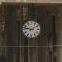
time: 1:46
